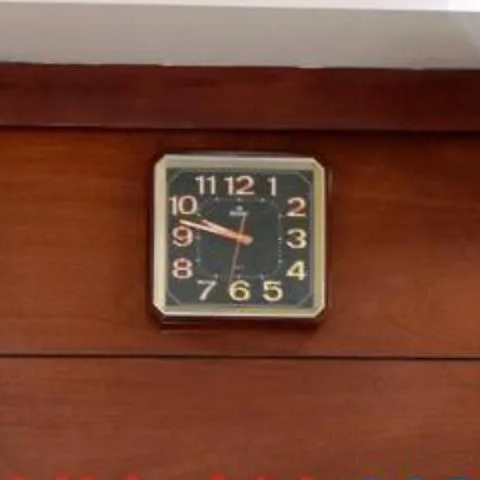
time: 9:47
